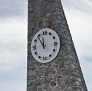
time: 11:53
